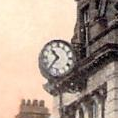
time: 10:36
